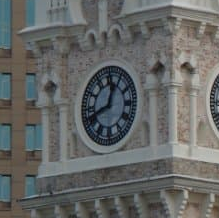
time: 12:41
